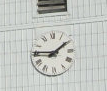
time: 1:46
